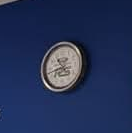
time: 10:42
